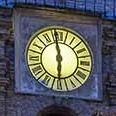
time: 5:58
